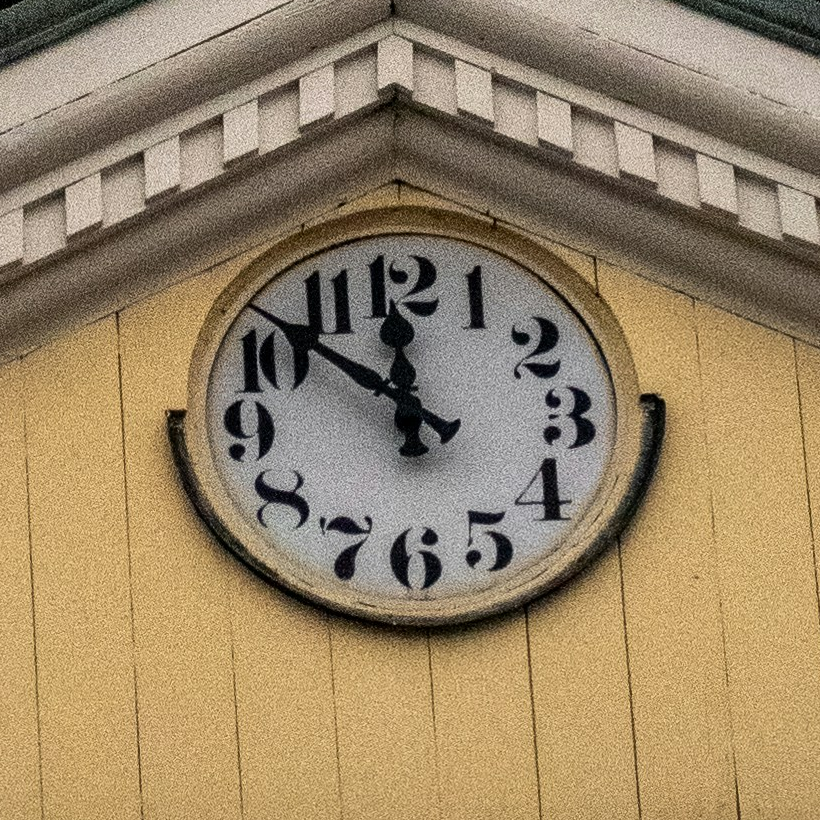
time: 11:51
